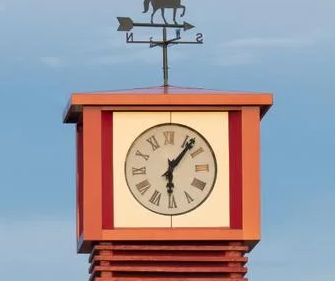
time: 6:06
